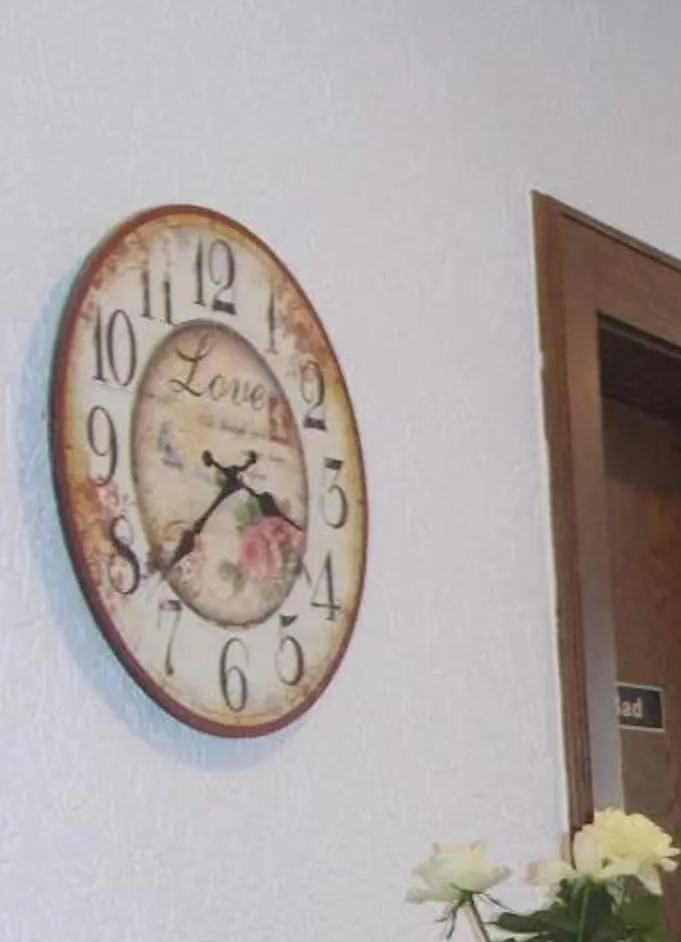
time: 3:38
